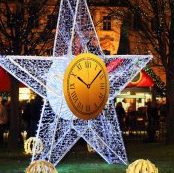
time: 10:07
